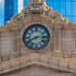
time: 8:14
